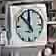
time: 11:52
